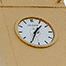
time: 1:34
